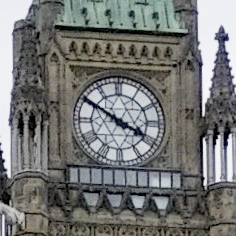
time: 3:50
